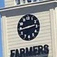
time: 2:42
